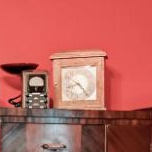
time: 8:23
